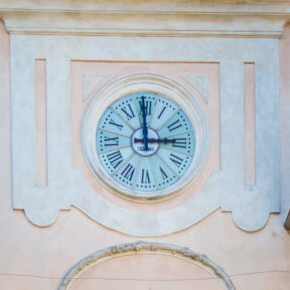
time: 2:59
